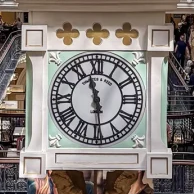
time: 11:29
